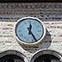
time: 12:24
